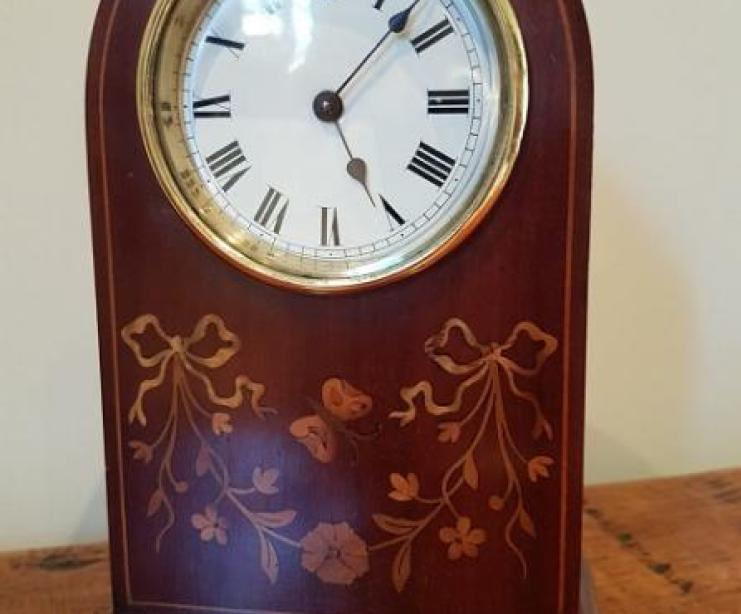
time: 5:07
